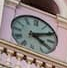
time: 4:10
